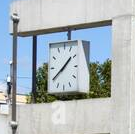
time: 1:39
